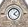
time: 4:07
